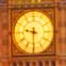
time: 9:30
